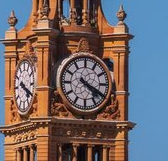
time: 4:19
